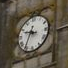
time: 9:34
